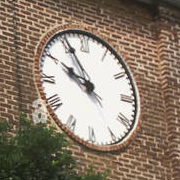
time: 9:55
